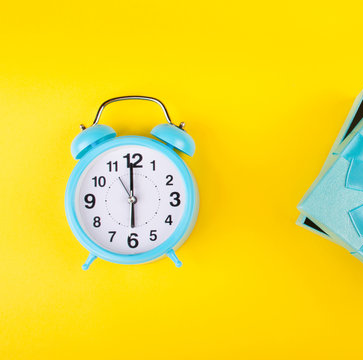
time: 5:59
